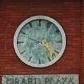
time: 4:48
